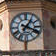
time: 1:18
